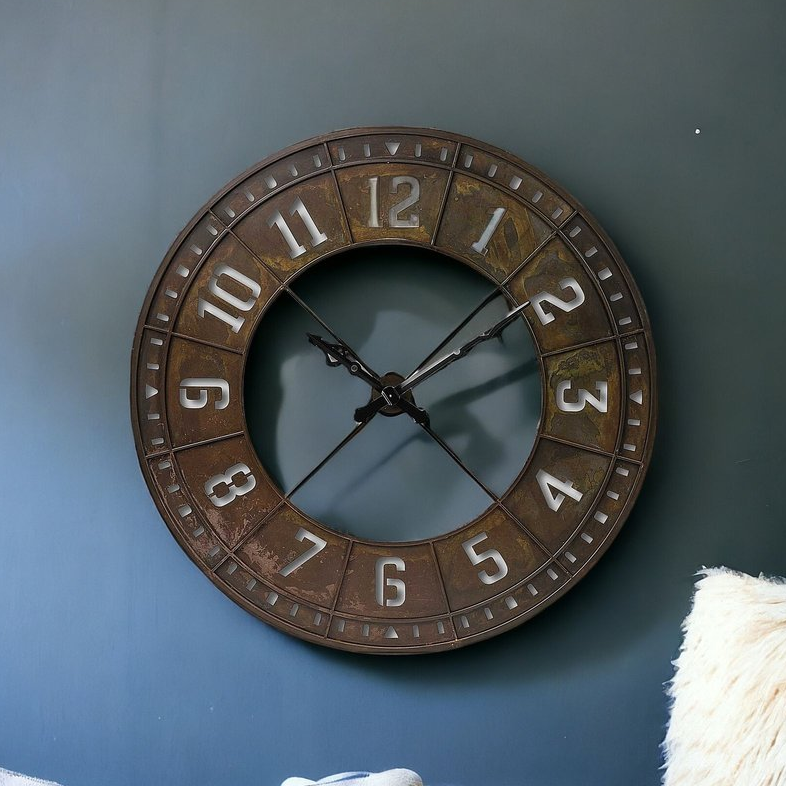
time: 1:51
